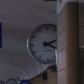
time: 2:18
